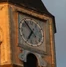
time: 6:53
